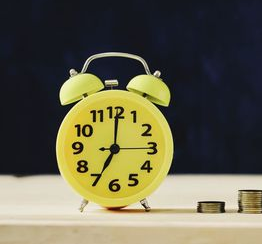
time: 7:00
